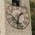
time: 1:32
